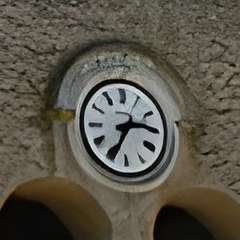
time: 2:34
